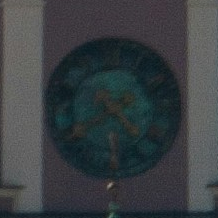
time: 4:40
